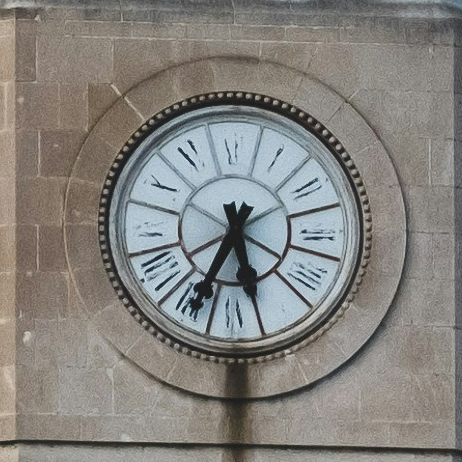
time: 5:34
